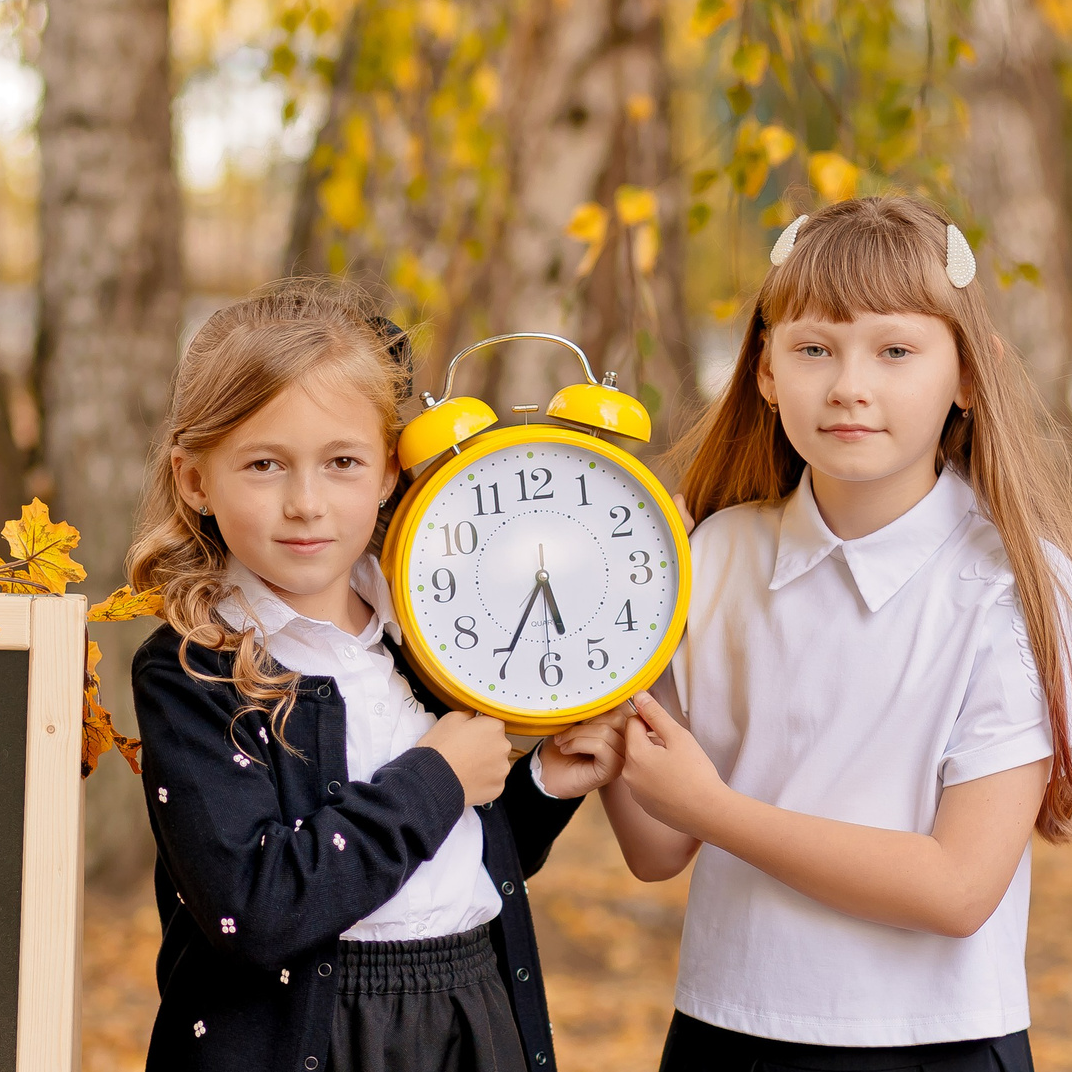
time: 5:34
